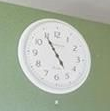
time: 4:54
